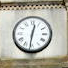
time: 12:31
